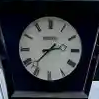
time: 2:37
